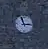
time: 11:13
